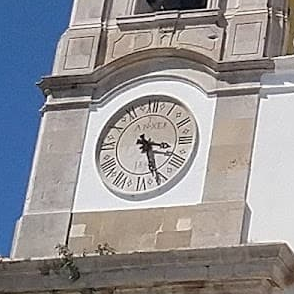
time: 3:26
